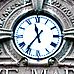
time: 11:36
